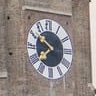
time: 7:51
